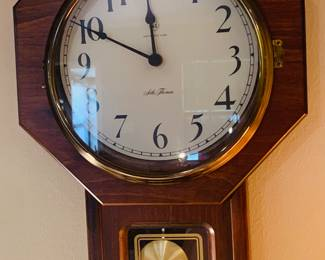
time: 11:49
